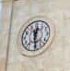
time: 12:28
